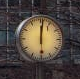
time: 6:01
